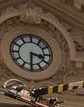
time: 3:30
